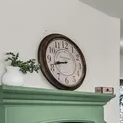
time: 8:41
